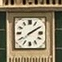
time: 2:09
